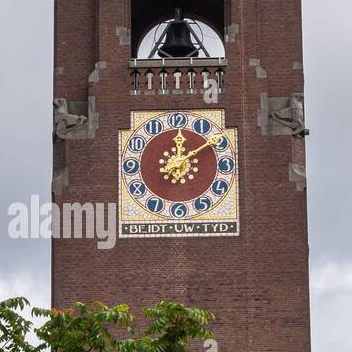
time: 12:09
